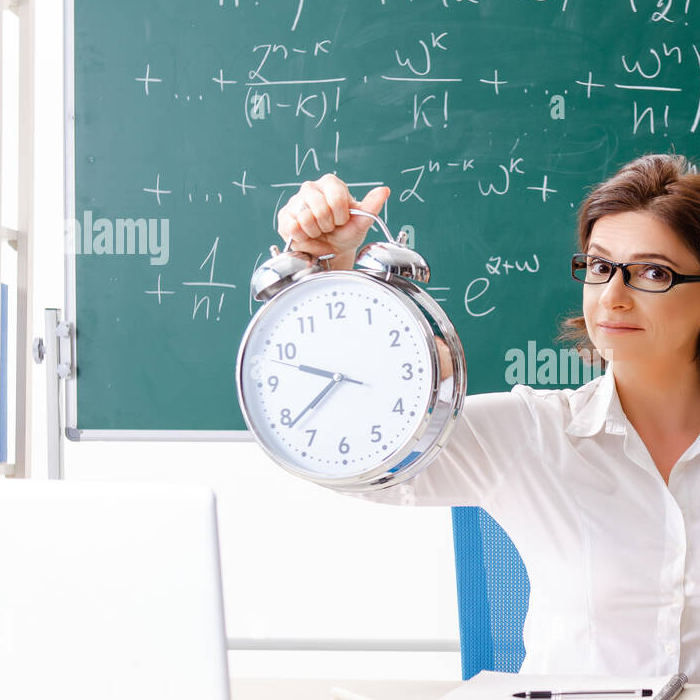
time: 9:38
